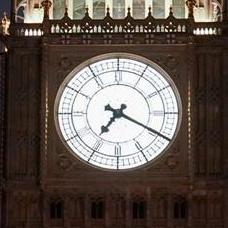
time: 7:19
